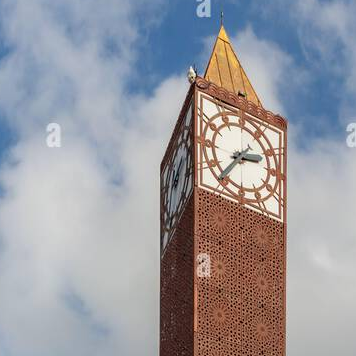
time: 2:36
